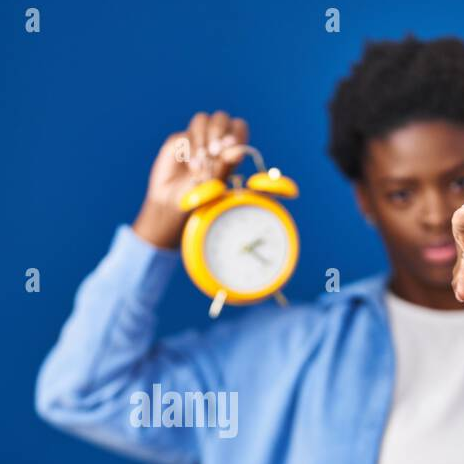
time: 2:21
